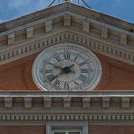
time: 9:38
